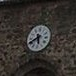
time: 5:40
